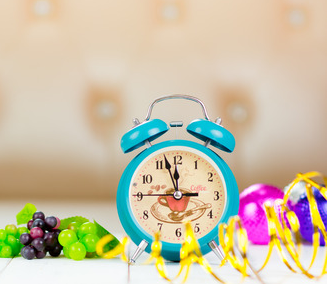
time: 11:57
